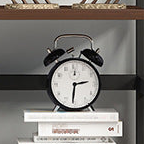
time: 2:31
